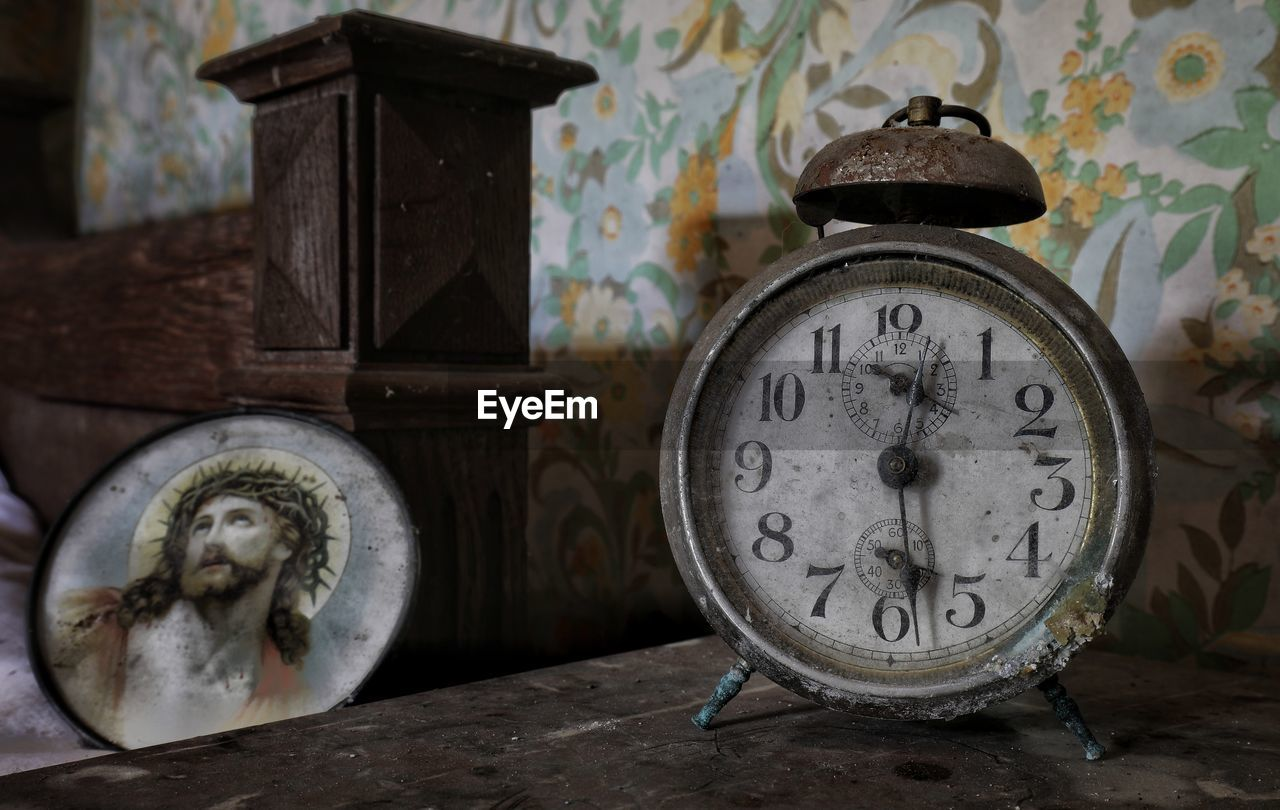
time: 12:28
